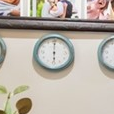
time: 6:00
